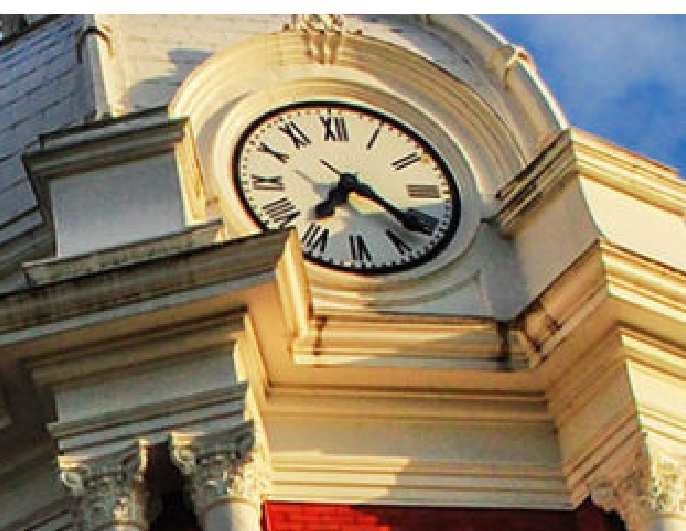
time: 7:21
